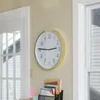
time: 2:45
